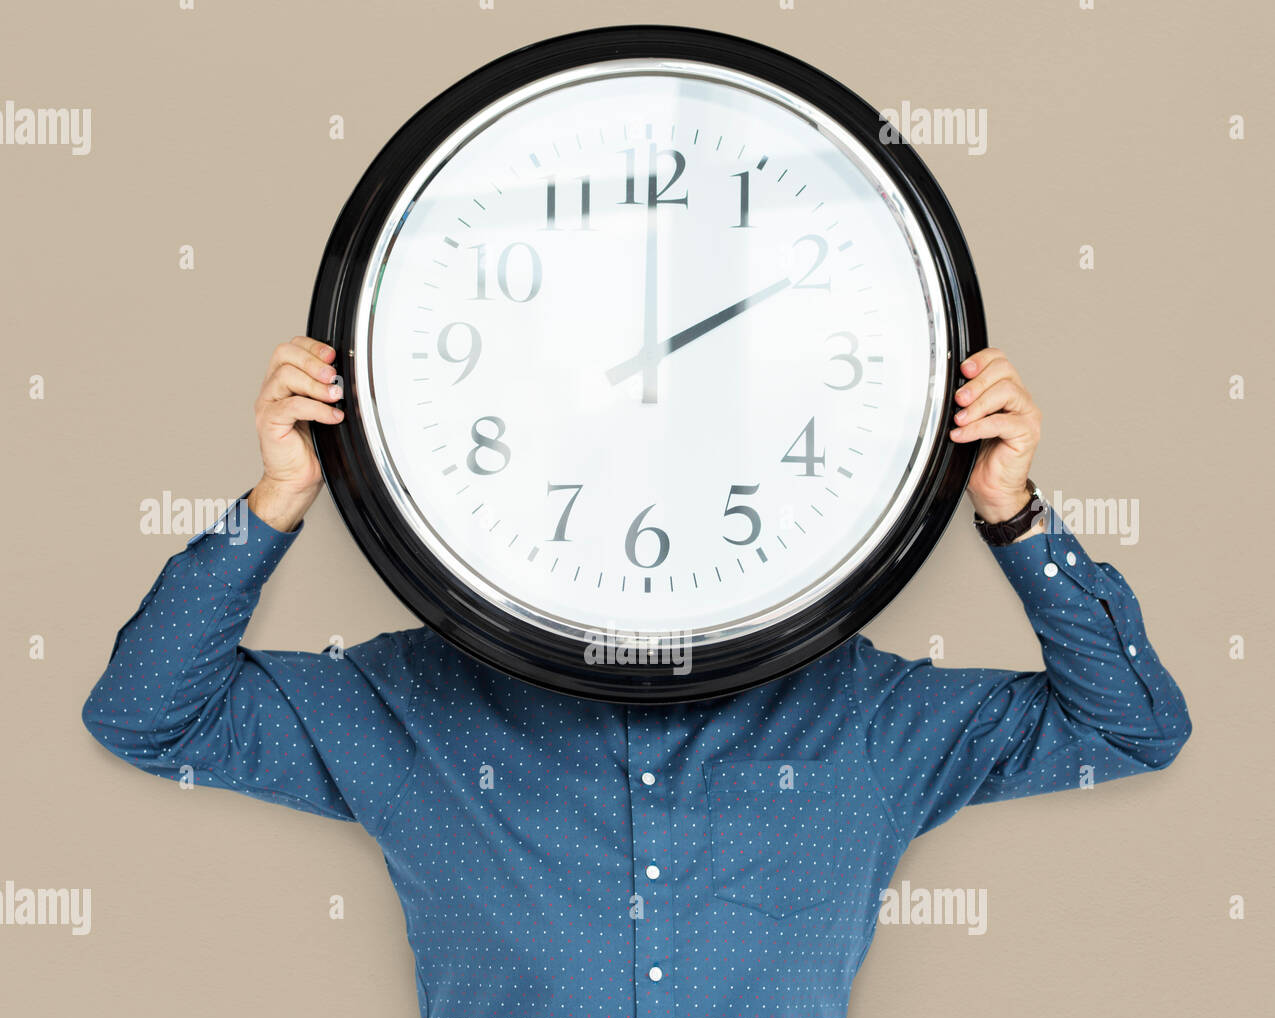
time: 2:00
